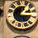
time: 1:16
